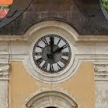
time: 2:00
